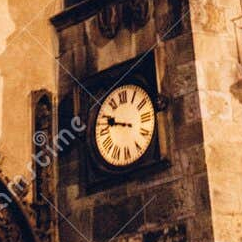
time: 9:47
